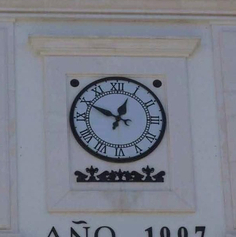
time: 12:49
